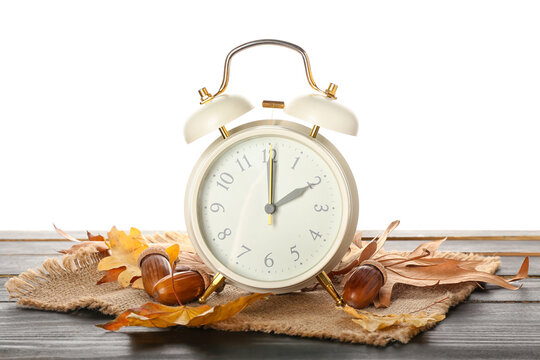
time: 2:00
